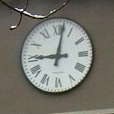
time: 9:01
